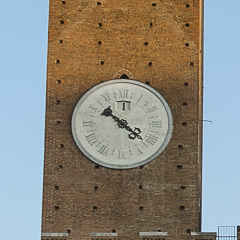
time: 10:21
